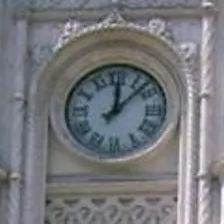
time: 12:07
